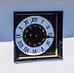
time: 4:16
